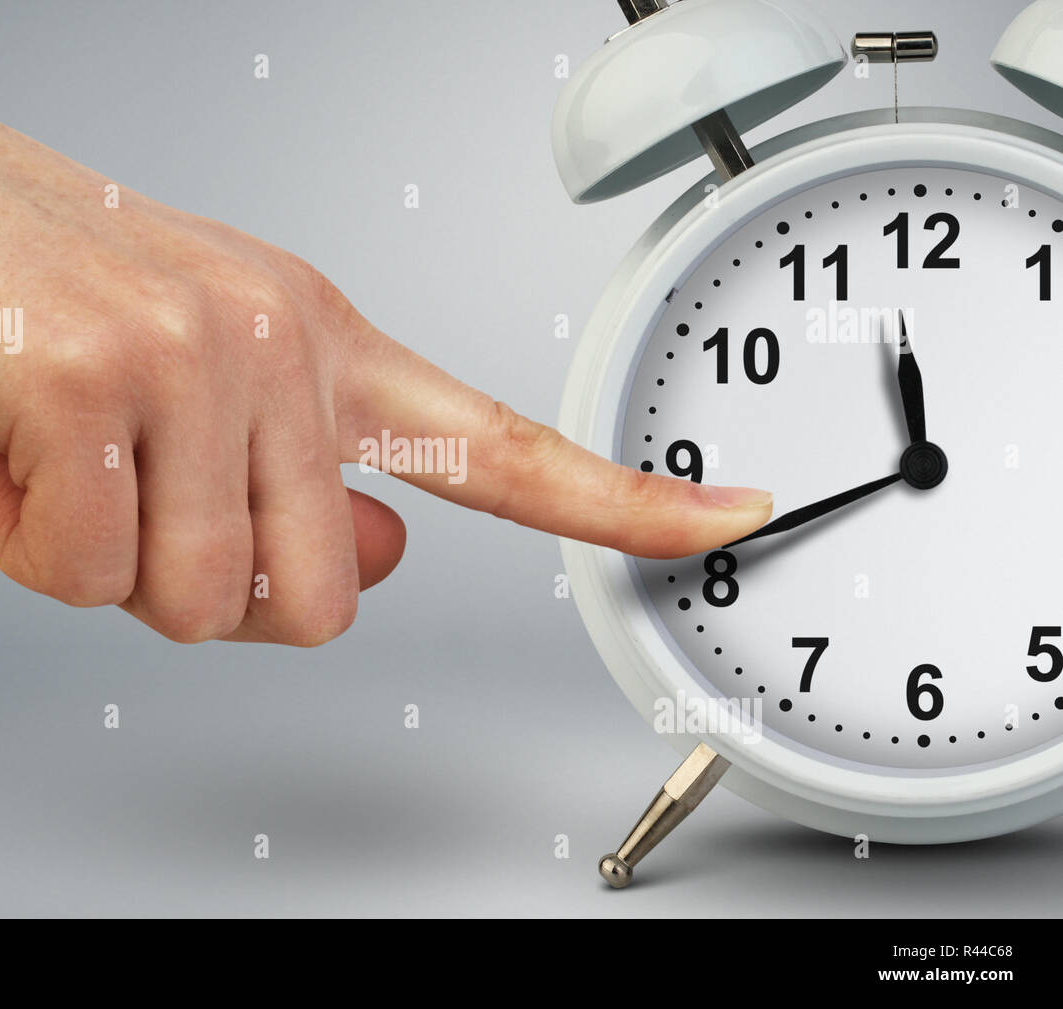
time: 11:40
